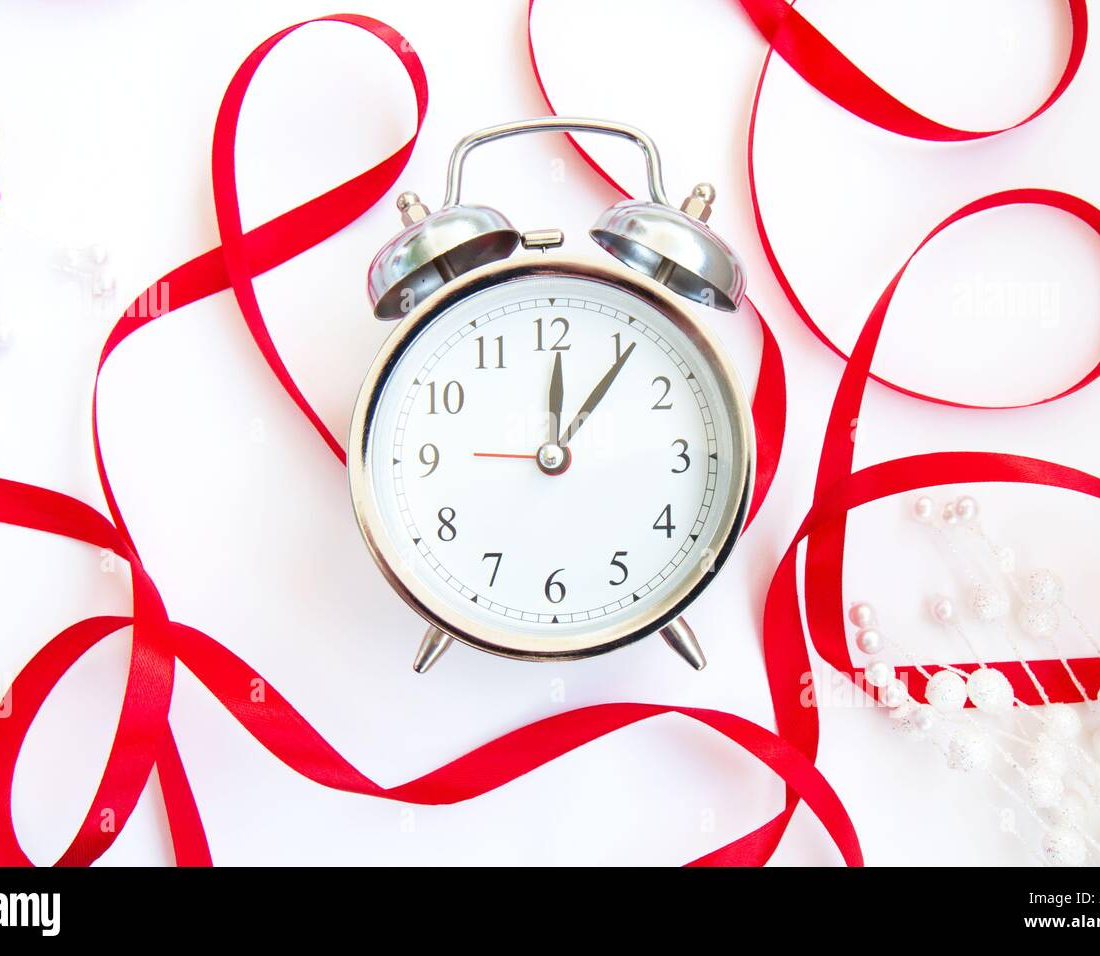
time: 12:06
